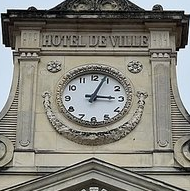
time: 3:03
